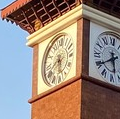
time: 5:40
